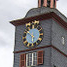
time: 5:51
